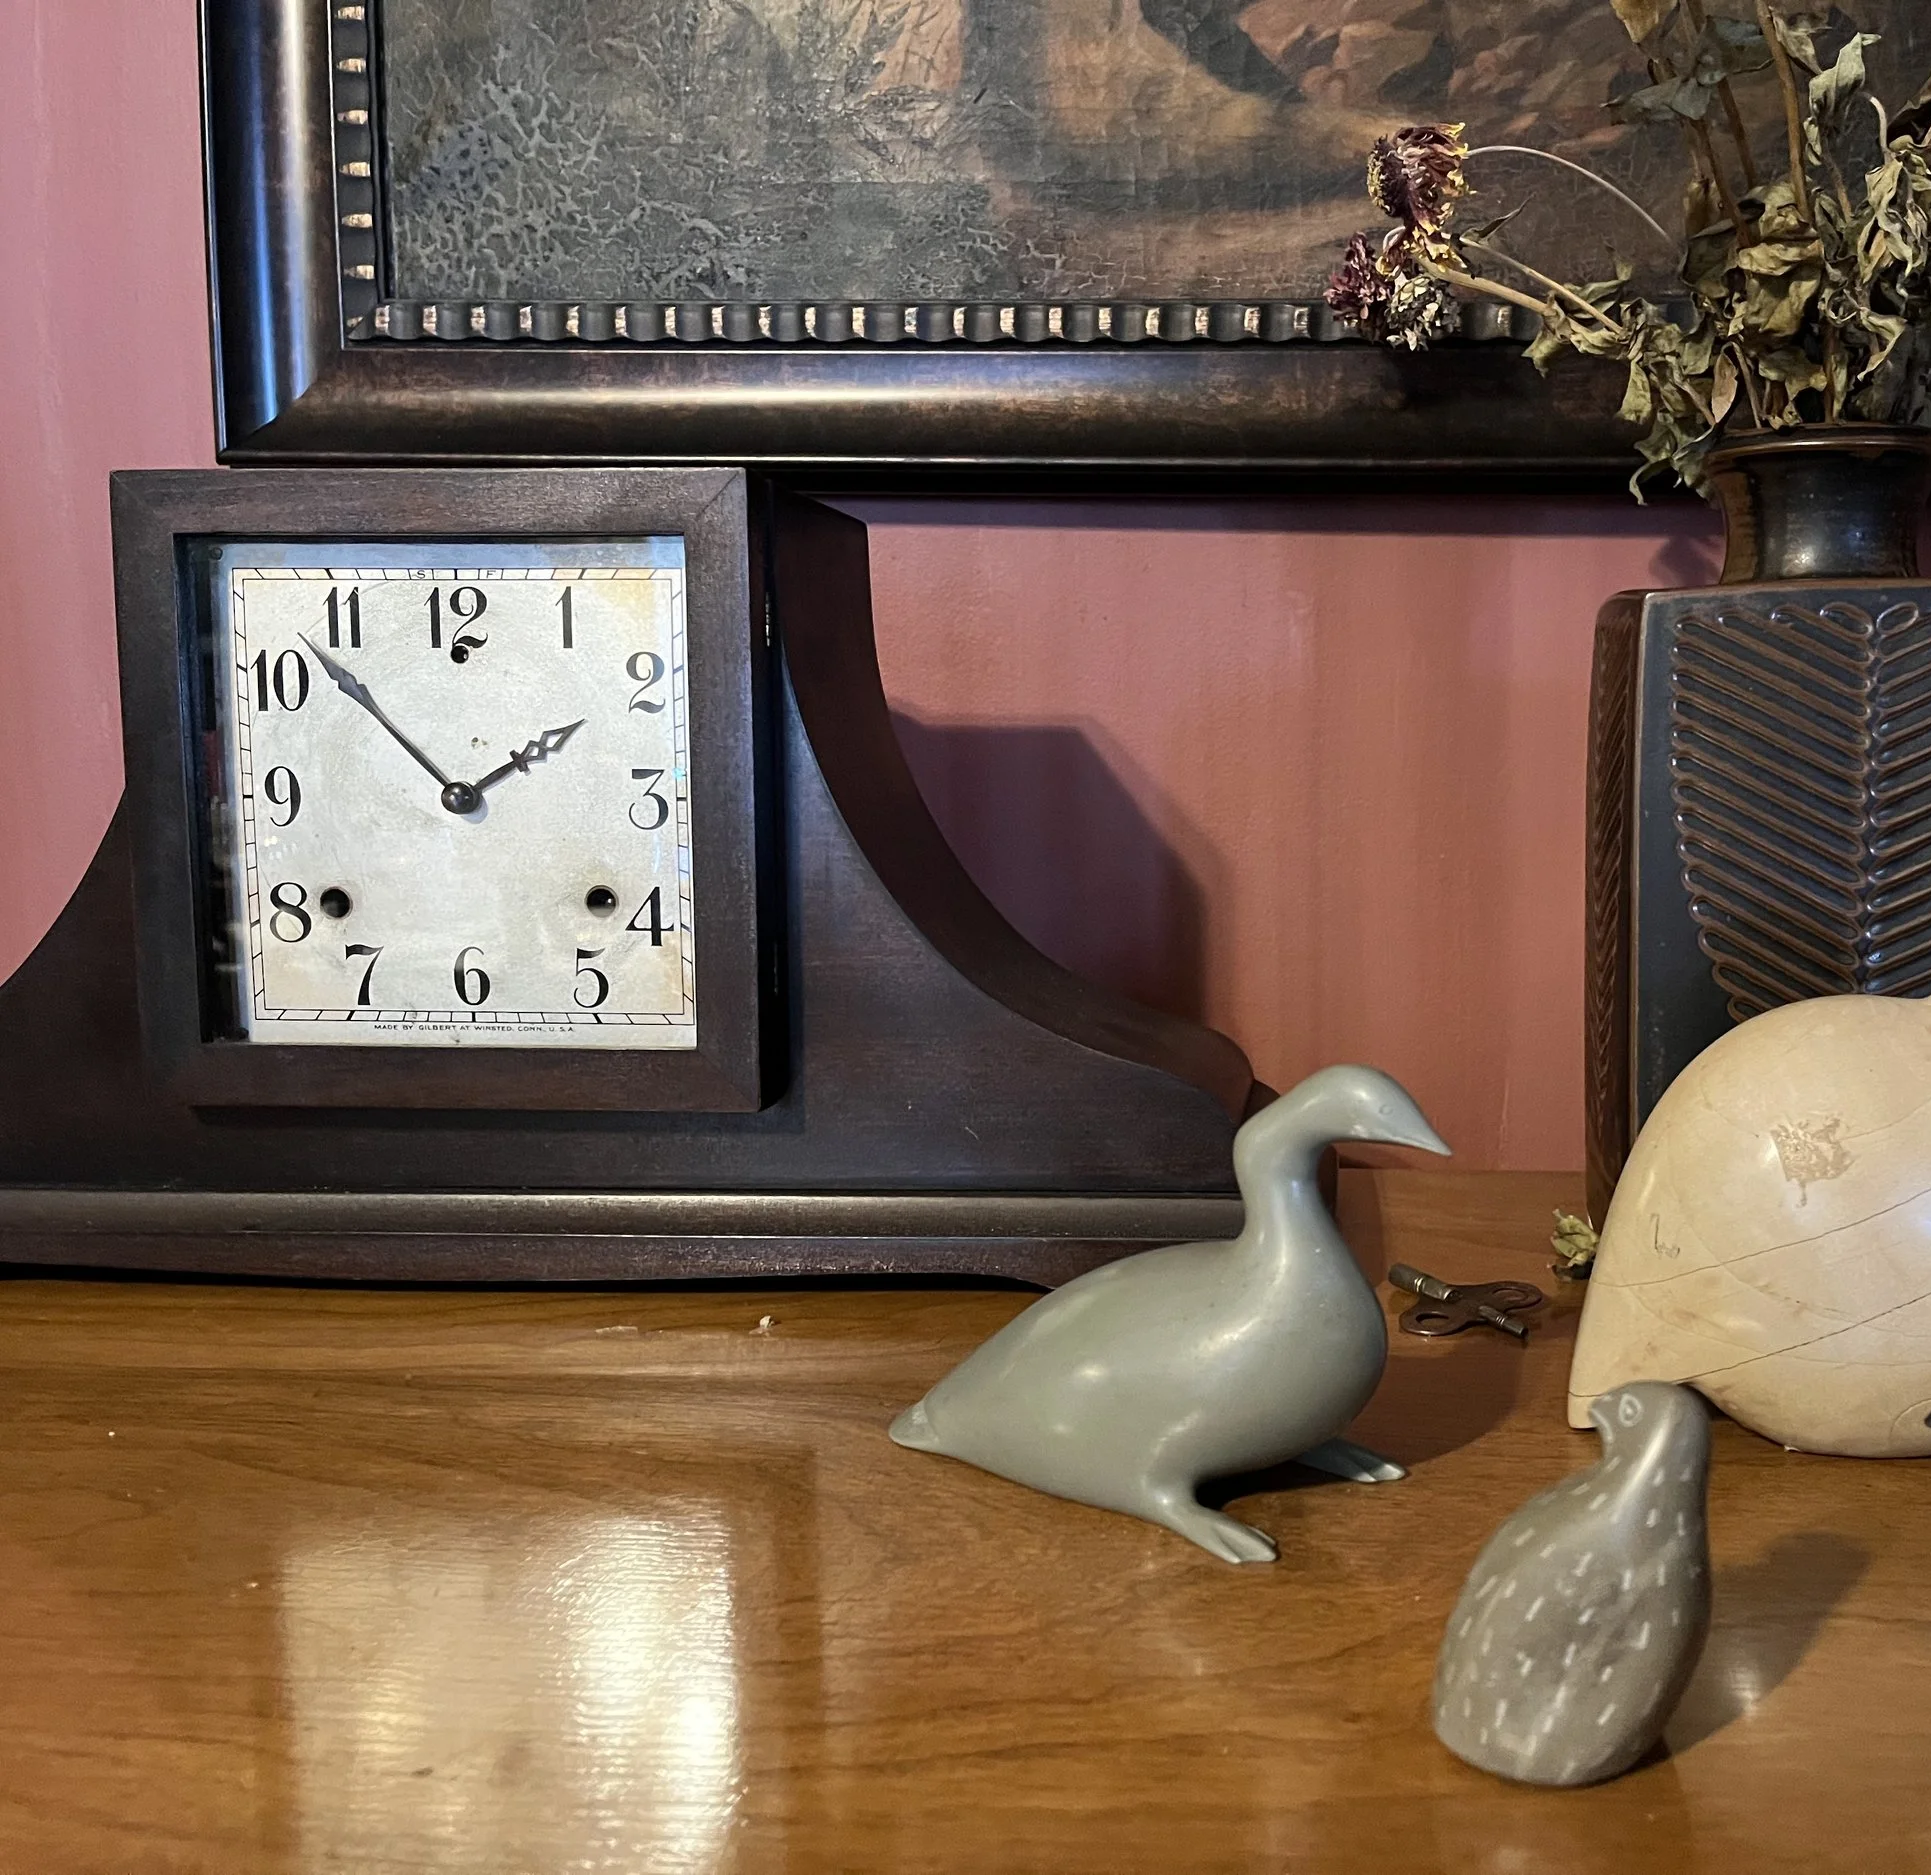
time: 1:52
